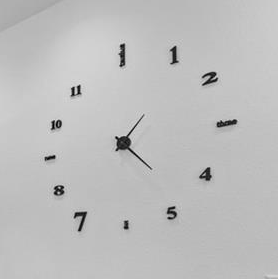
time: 1:22
